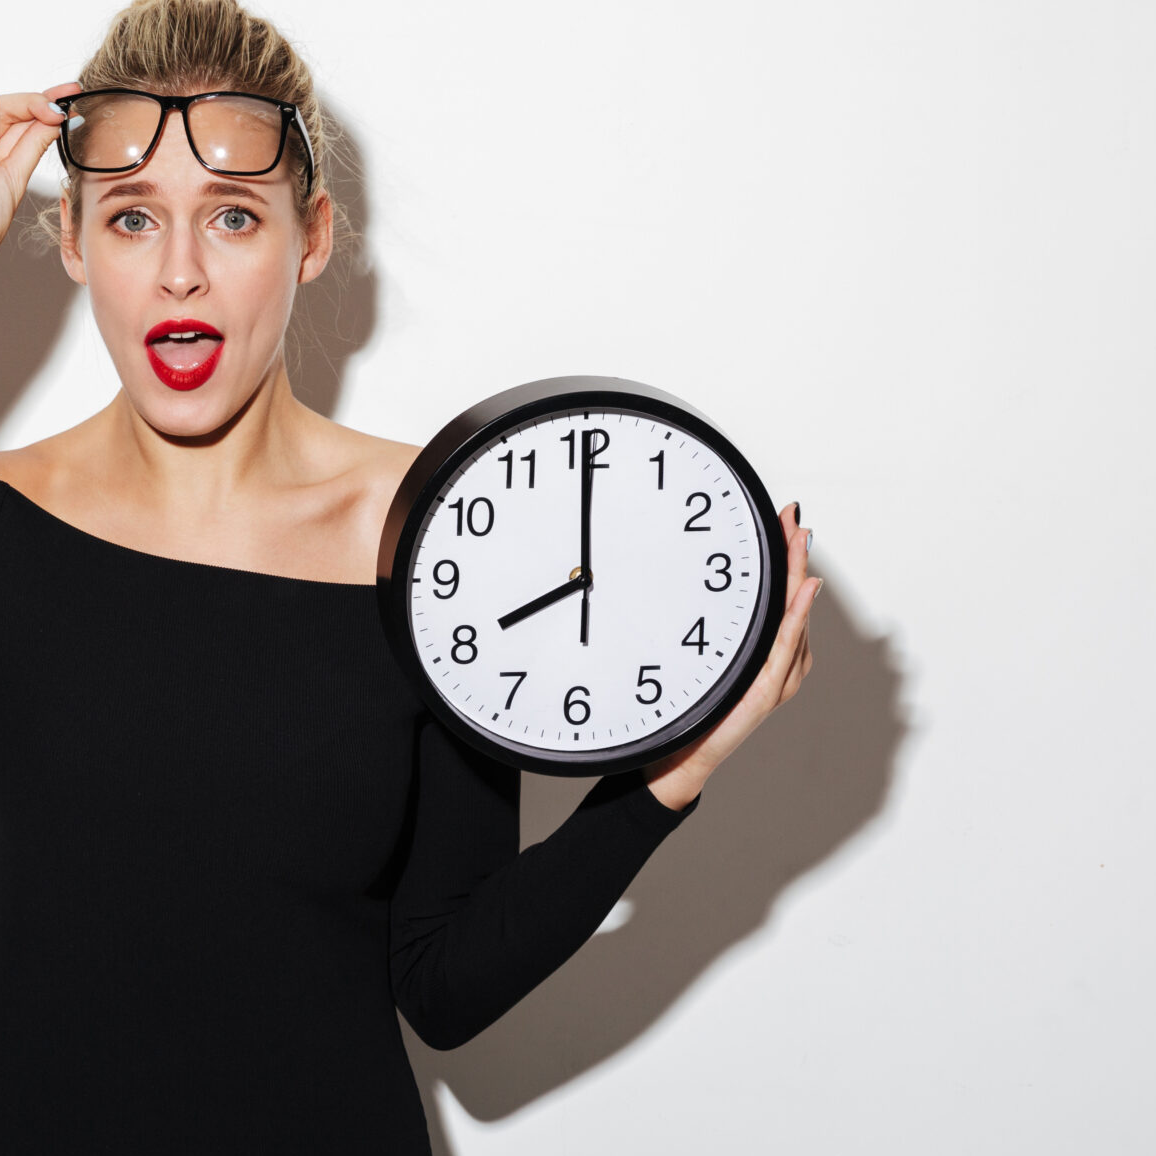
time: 7:59
